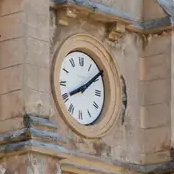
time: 8:09
